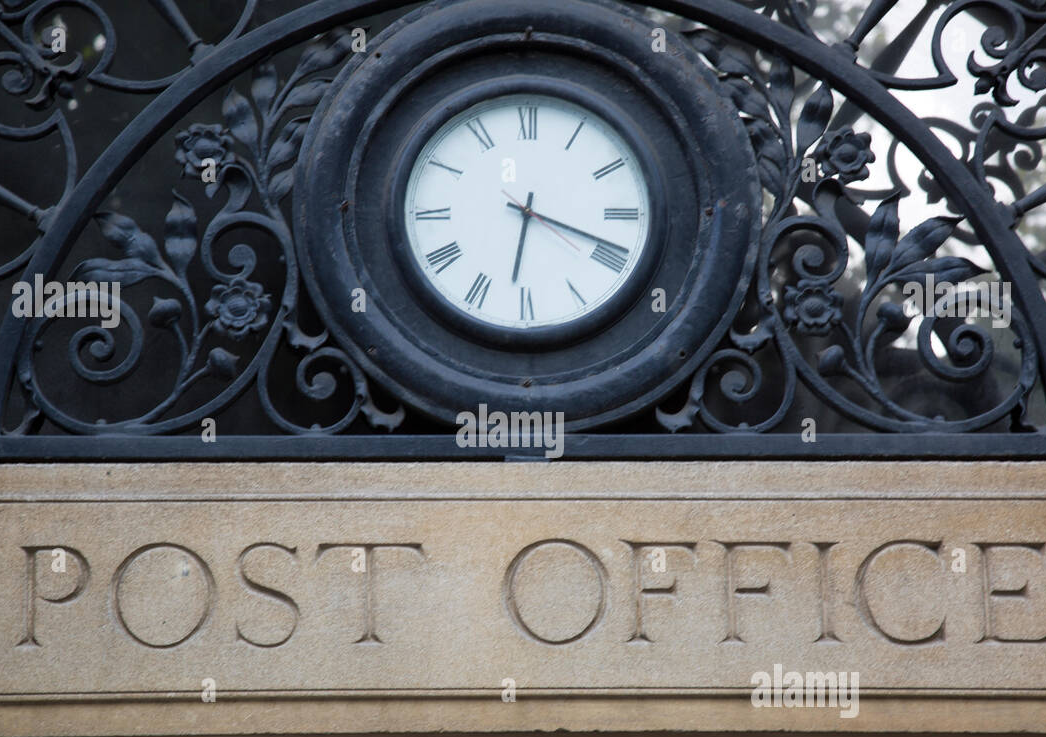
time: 6:18
